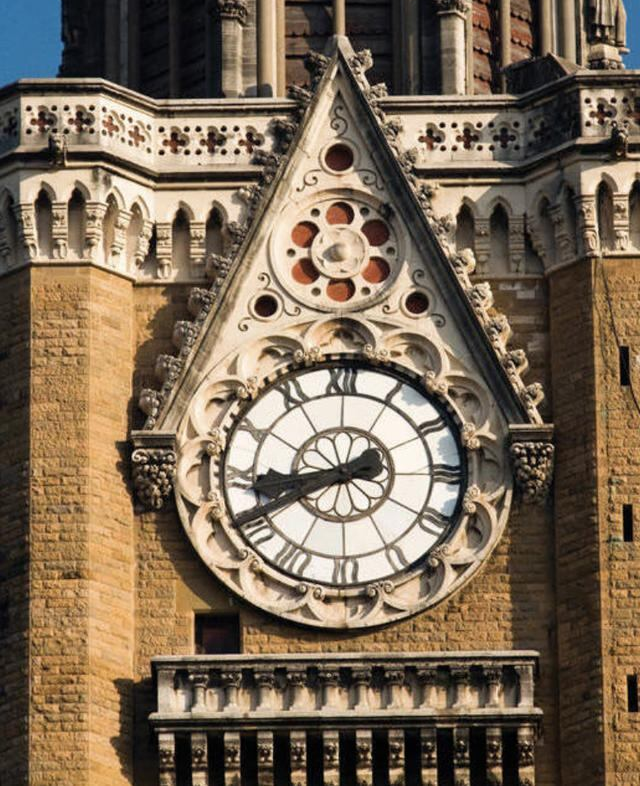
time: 8:40
